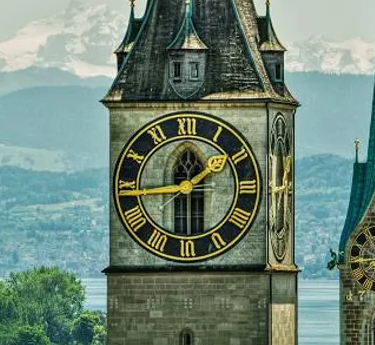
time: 1:44
